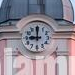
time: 8:59
